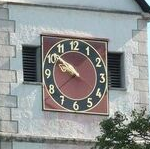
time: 9:51
